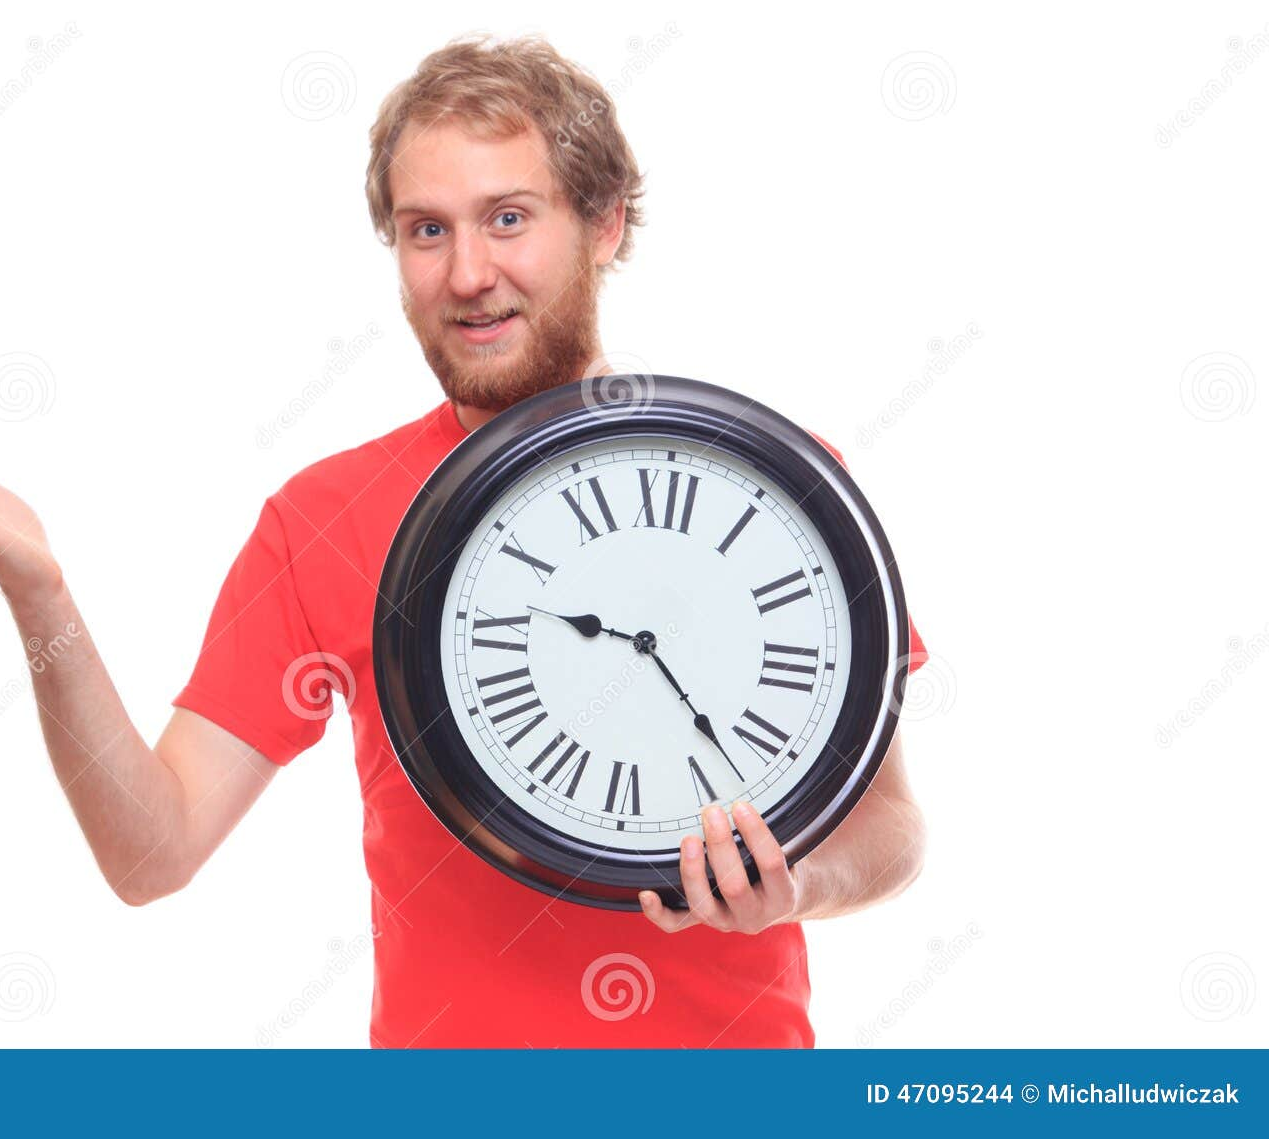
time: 9:22
